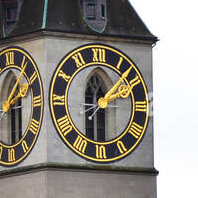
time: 2:07
